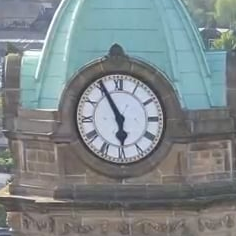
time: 5:55
